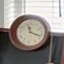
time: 11:18
